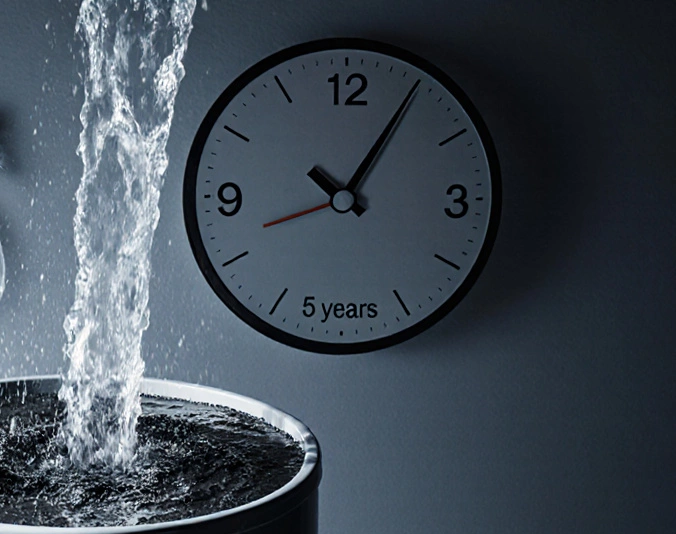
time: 10:05
